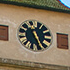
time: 11:25
